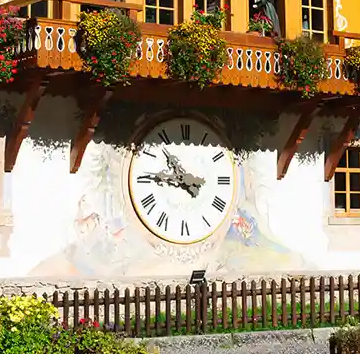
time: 10:45
